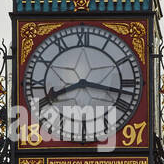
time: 8:16
